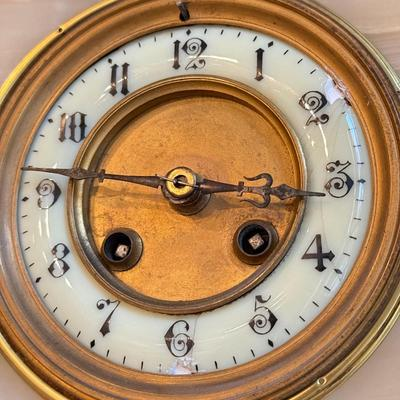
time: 2:46
